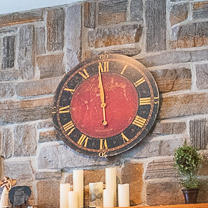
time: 5:59
